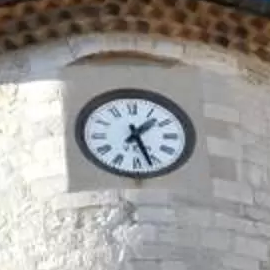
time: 1:26
